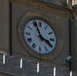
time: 3:56
